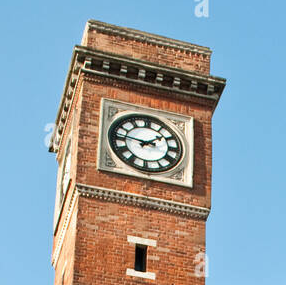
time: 1:46
